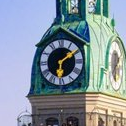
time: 6:09
